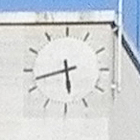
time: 5:42
